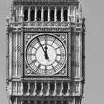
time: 11:55
